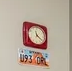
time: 11:21
